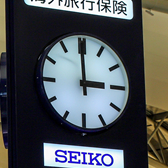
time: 2:59
